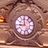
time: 11:44
